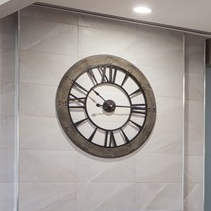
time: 10:14
